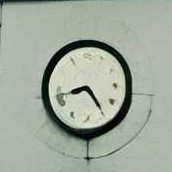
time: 8:24
